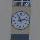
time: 11:12
